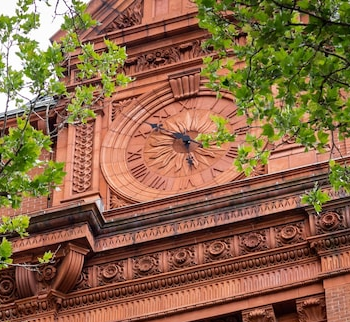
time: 5:51
